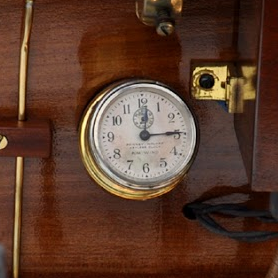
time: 12:14
